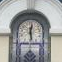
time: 12:28
